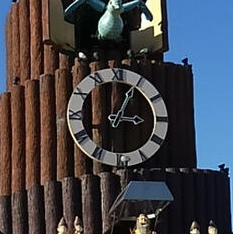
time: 3:04
